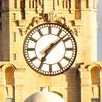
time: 7:08
